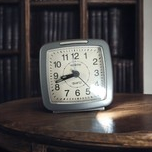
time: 8:42
